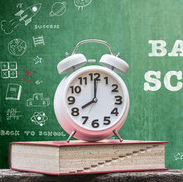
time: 8:00
